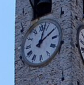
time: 2:02
